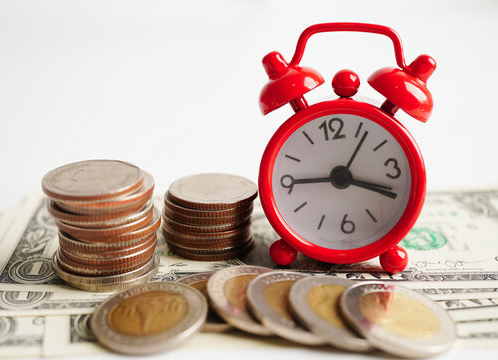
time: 3:45
